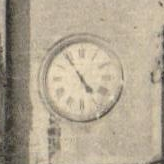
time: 4:54
